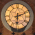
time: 6:11
